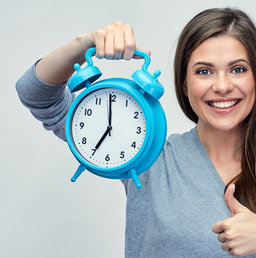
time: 6:59
